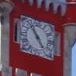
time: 4:54
